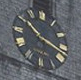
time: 10:17
